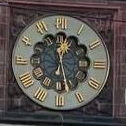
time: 12:27
